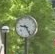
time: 9:25
